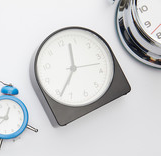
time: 11:33
